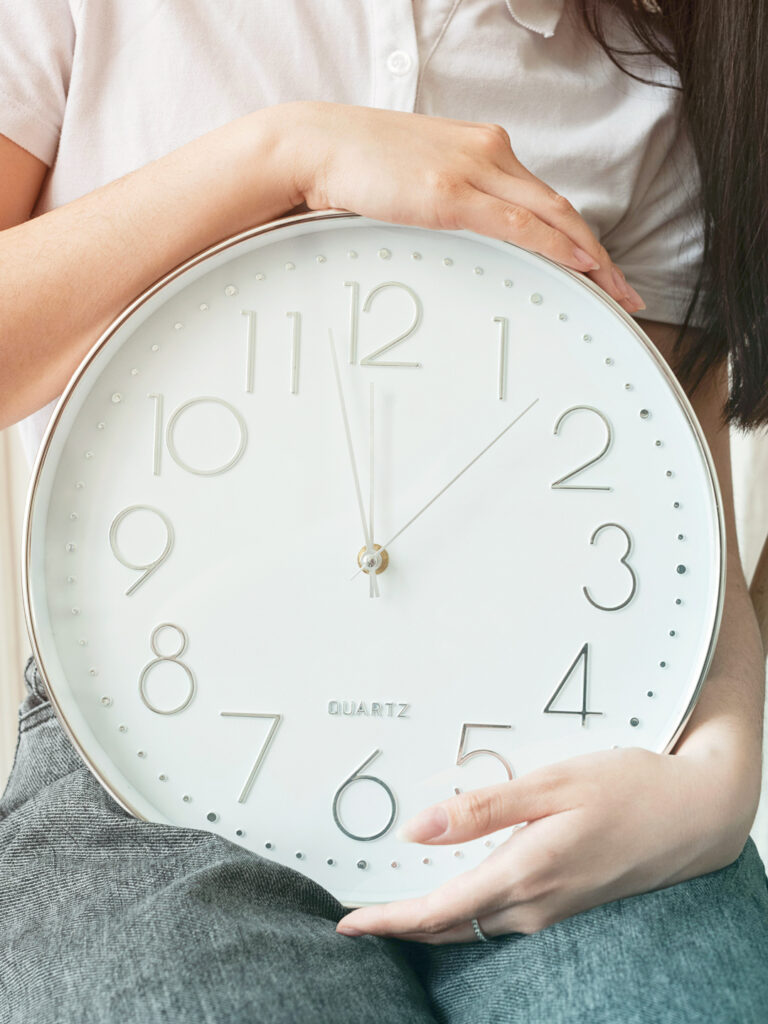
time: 12:07
